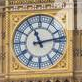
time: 11:13
